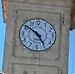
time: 4:51
